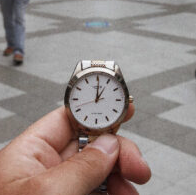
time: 1:00
